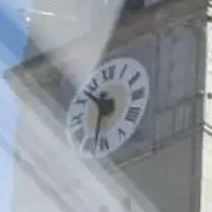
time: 10:32
